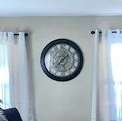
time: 1:37
